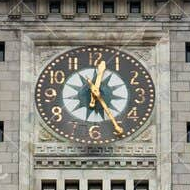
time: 12:26
